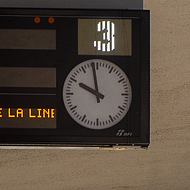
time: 9:58
